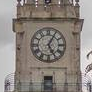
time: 5:04
